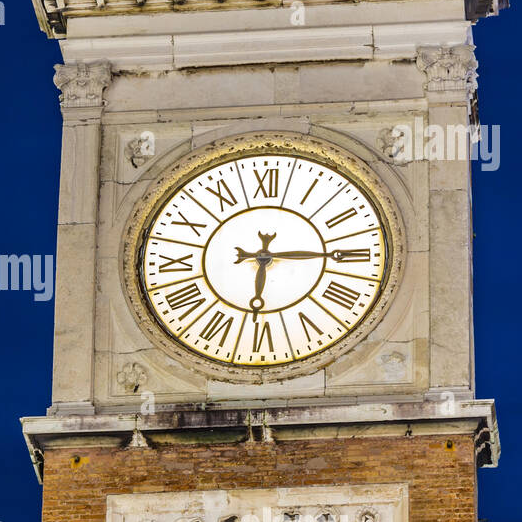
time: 6:14
